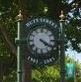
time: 4:20
